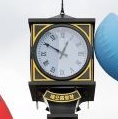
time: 12:50
